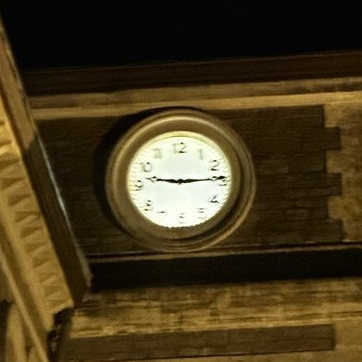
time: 9:14
